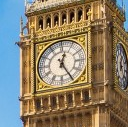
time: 12:24
